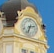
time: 2:33
